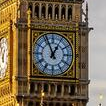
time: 12:56
